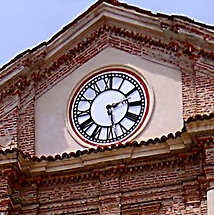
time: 2:28
